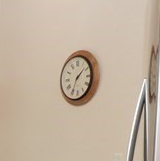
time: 1:34
